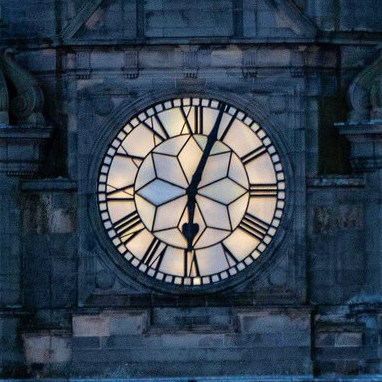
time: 6:03
